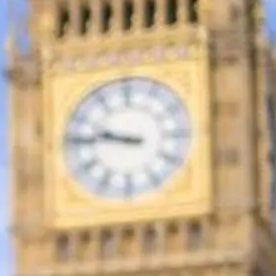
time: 9:46
